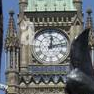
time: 12:12
